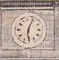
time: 6:03
